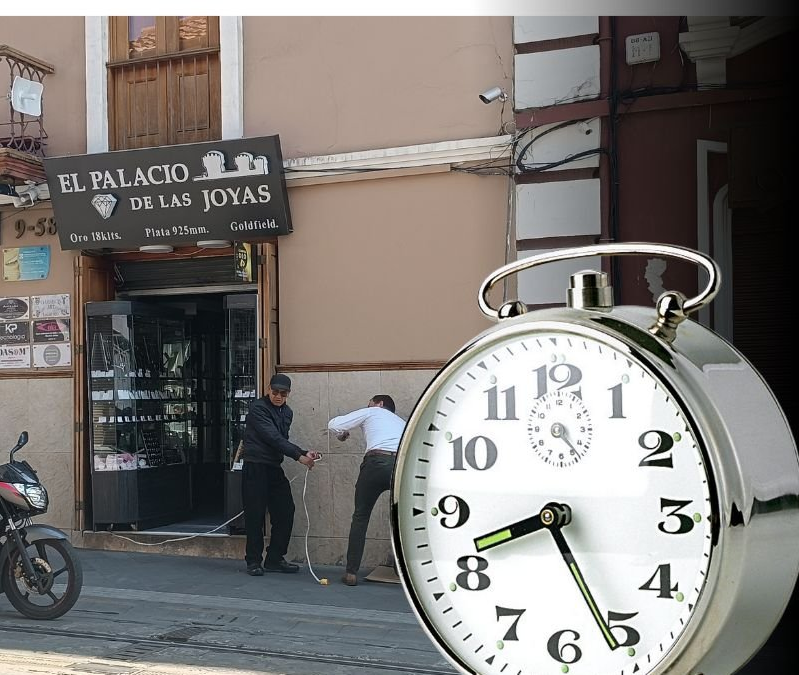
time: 8:25
